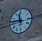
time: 11:46
